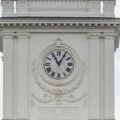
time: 11:05
